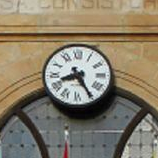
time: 8:25
